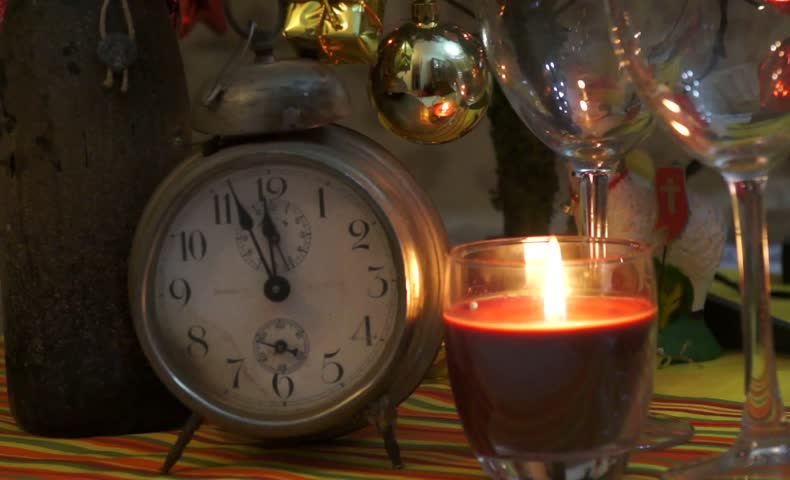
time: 11:56
